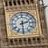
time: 2:29
